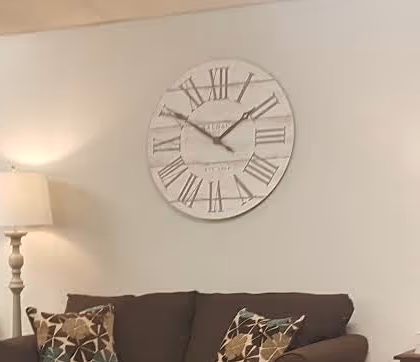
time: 1:50
